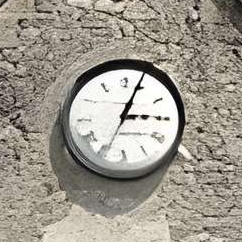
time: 3:03
